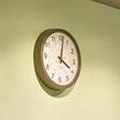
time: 4:01
